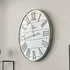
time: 11:43
